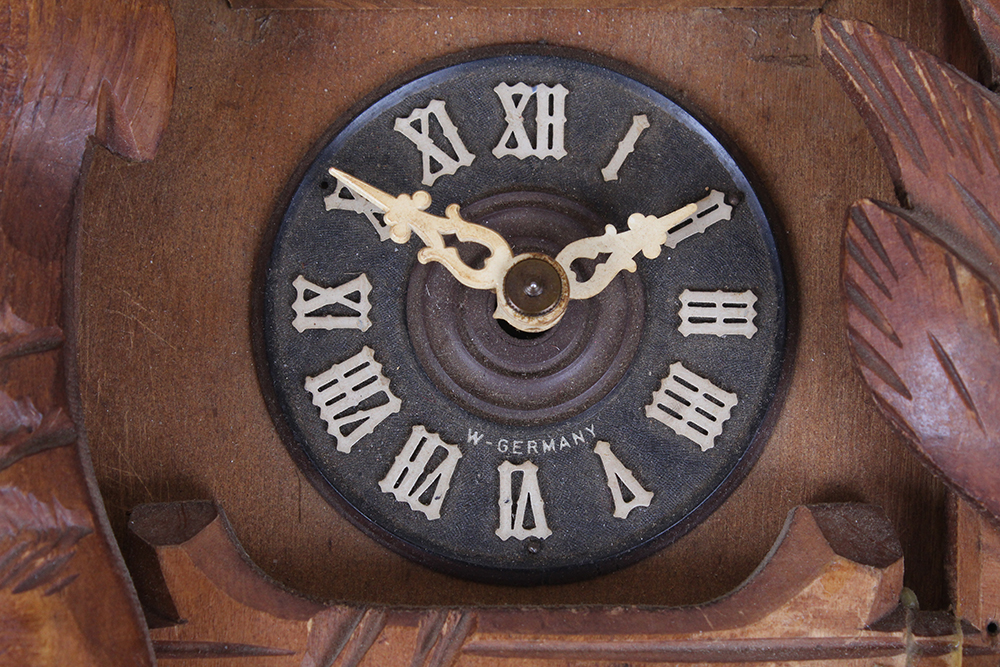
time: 1:50
